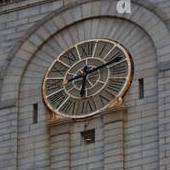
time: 6:11
